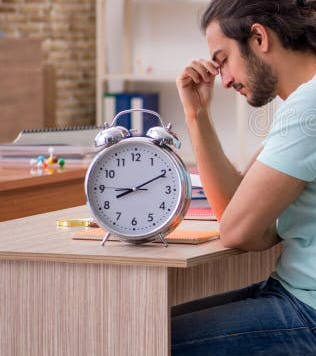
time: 8:10
